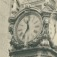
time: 11:35
